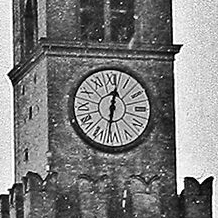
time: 12:30
